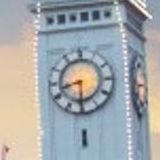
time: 8:30
